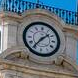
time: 1:36
